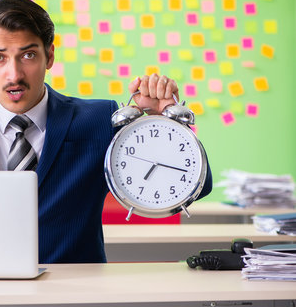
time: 7:17
